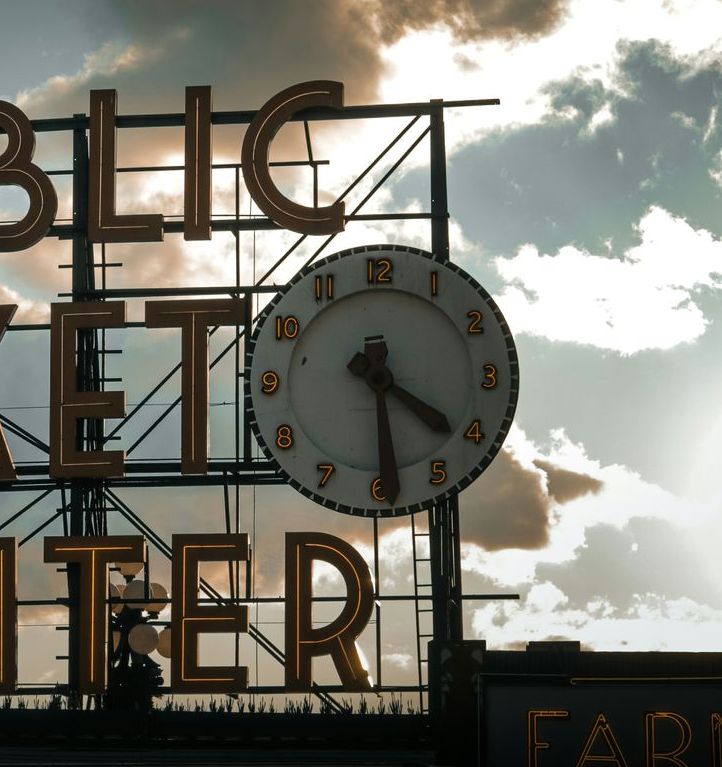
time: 4:29
